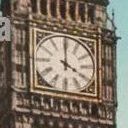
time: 4:00
